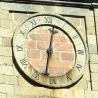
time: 12:32
